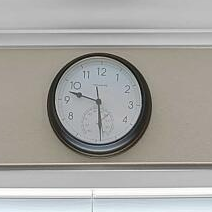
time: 5:47
